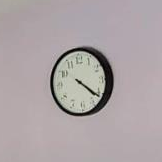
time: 4:21
